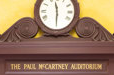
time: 11:29
